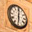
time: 6:00
